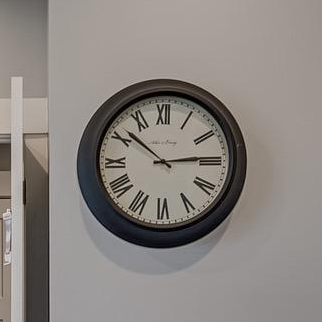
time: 2:51
